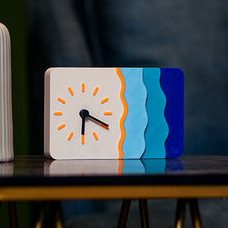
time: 6:19
